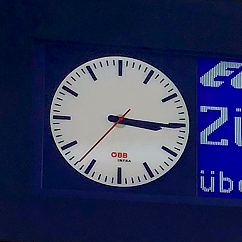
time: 3:15
